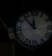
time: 11:52
